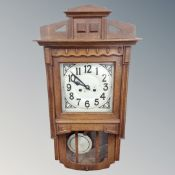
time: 9:51
